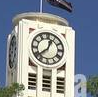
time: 12:38
